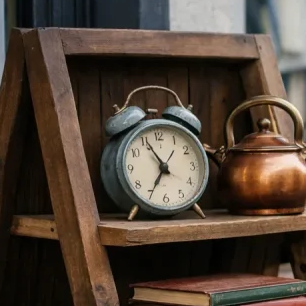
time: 6:55
